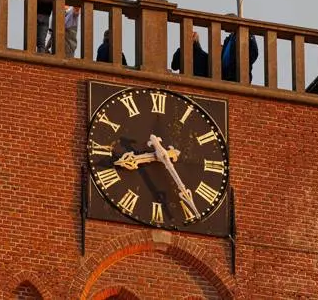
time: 8:24
